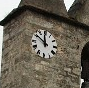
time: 11:51
